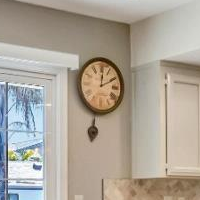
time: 12:10
